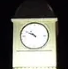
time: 10:49
